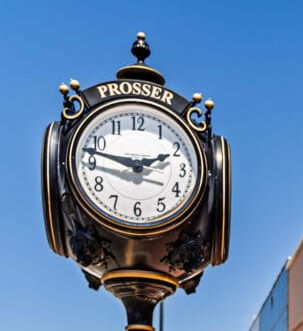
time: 1:47
